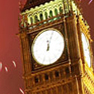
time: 12:04
